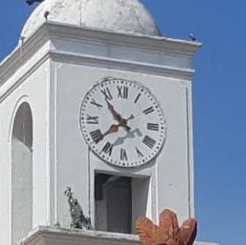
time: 10:38
